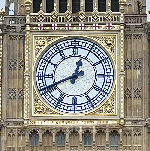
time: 12:41
